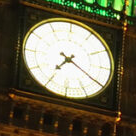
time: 7:20
